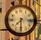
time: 7:30
